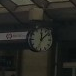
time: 12:07
